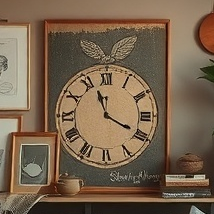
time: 11:19
